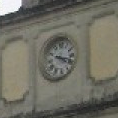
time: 4:17
